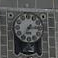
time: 7:15
